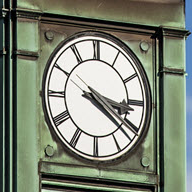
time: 3:21
